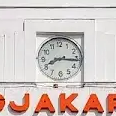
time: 8:16
